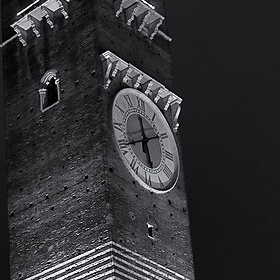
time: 11:40
